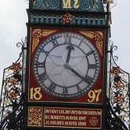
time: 12:21
